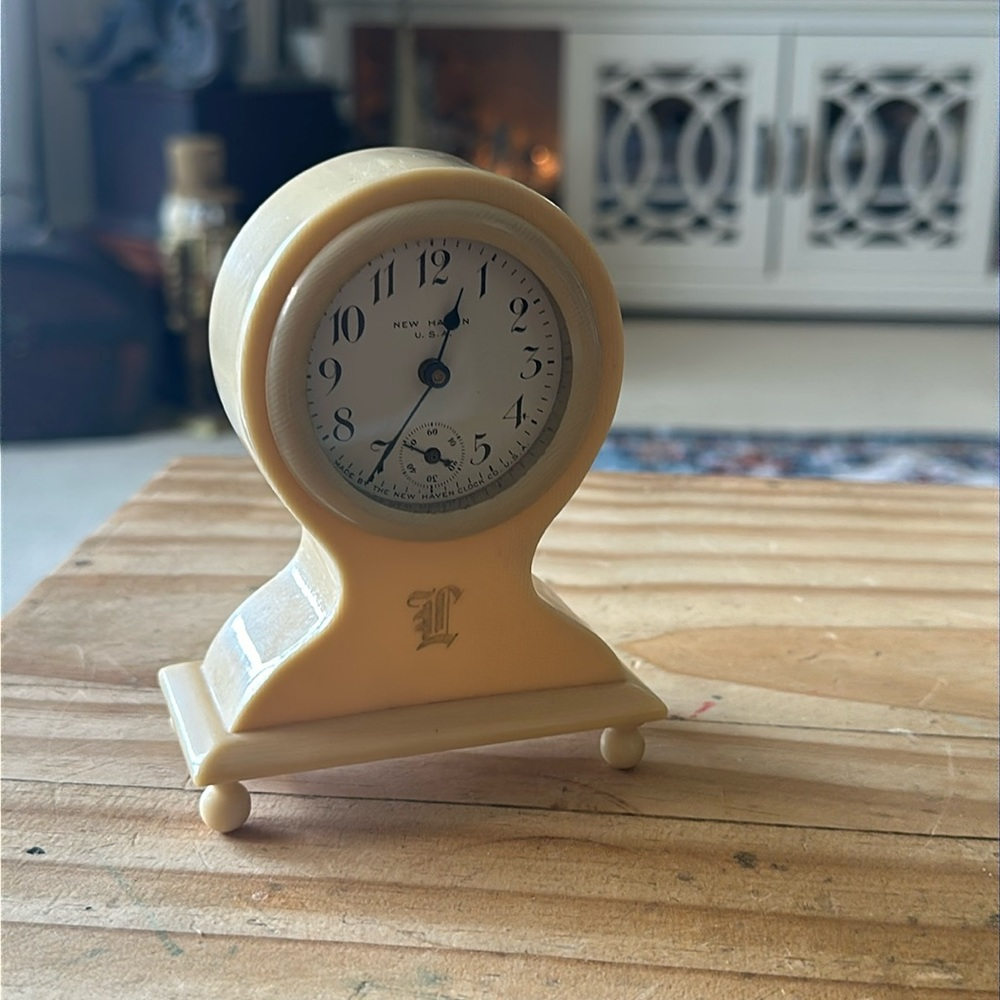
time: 12:34
